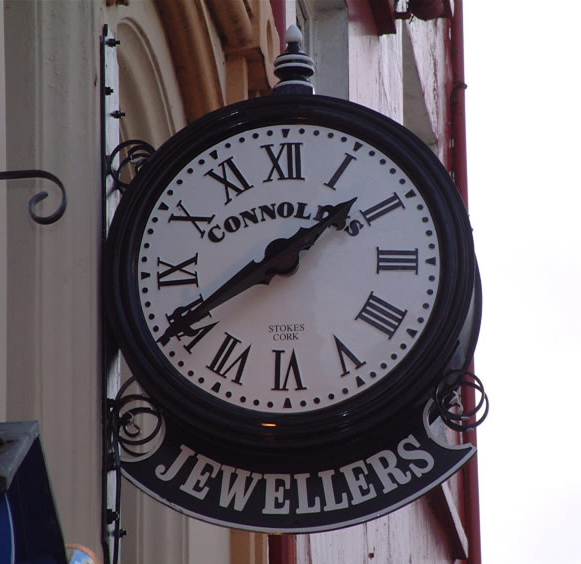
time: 1:39
